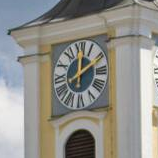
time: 12:10
